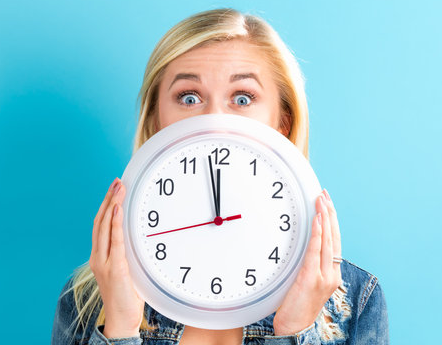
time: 11:58
